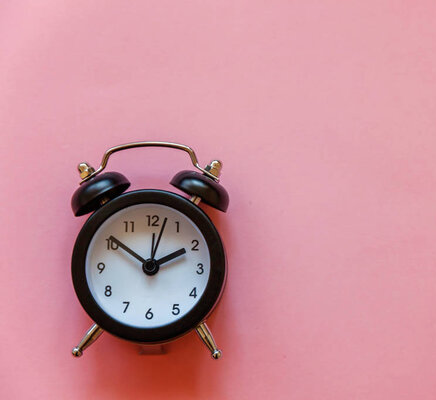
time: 1:51
